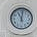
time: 11:01
